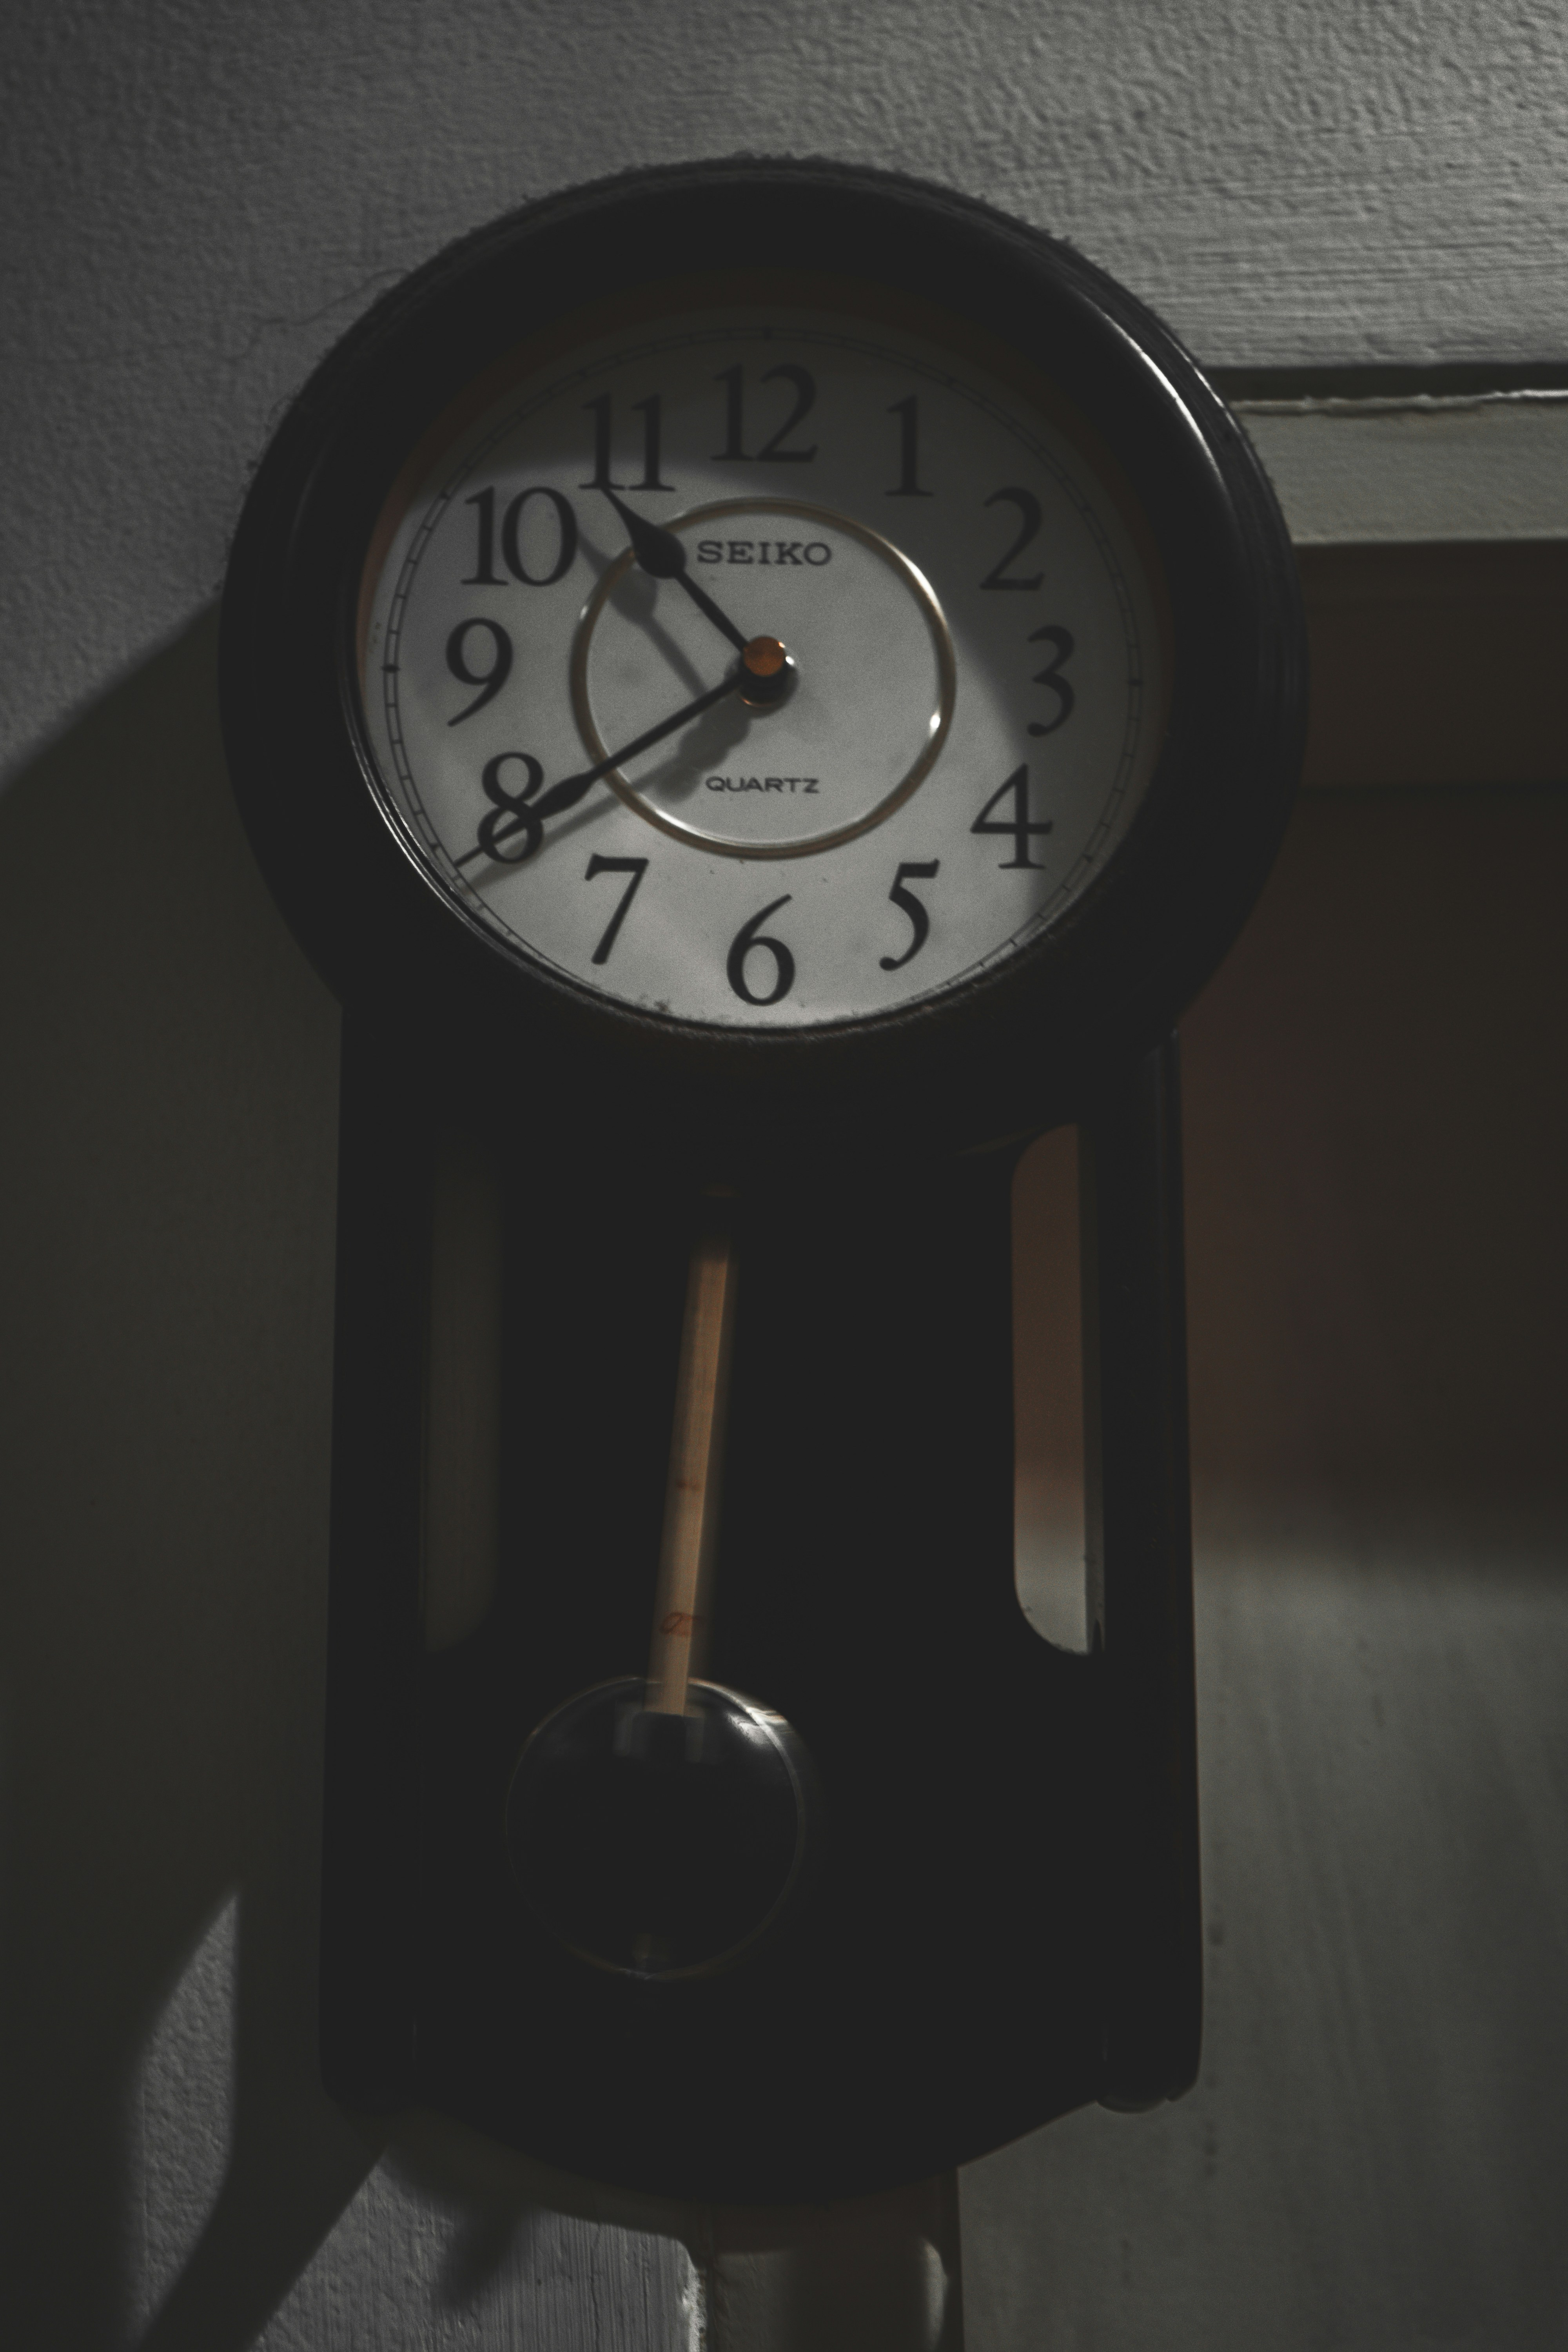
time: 10:39
